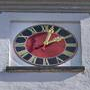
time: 2:02
